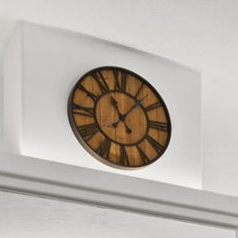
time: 11:07
